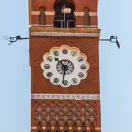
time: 10:31
